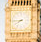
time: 7:44
